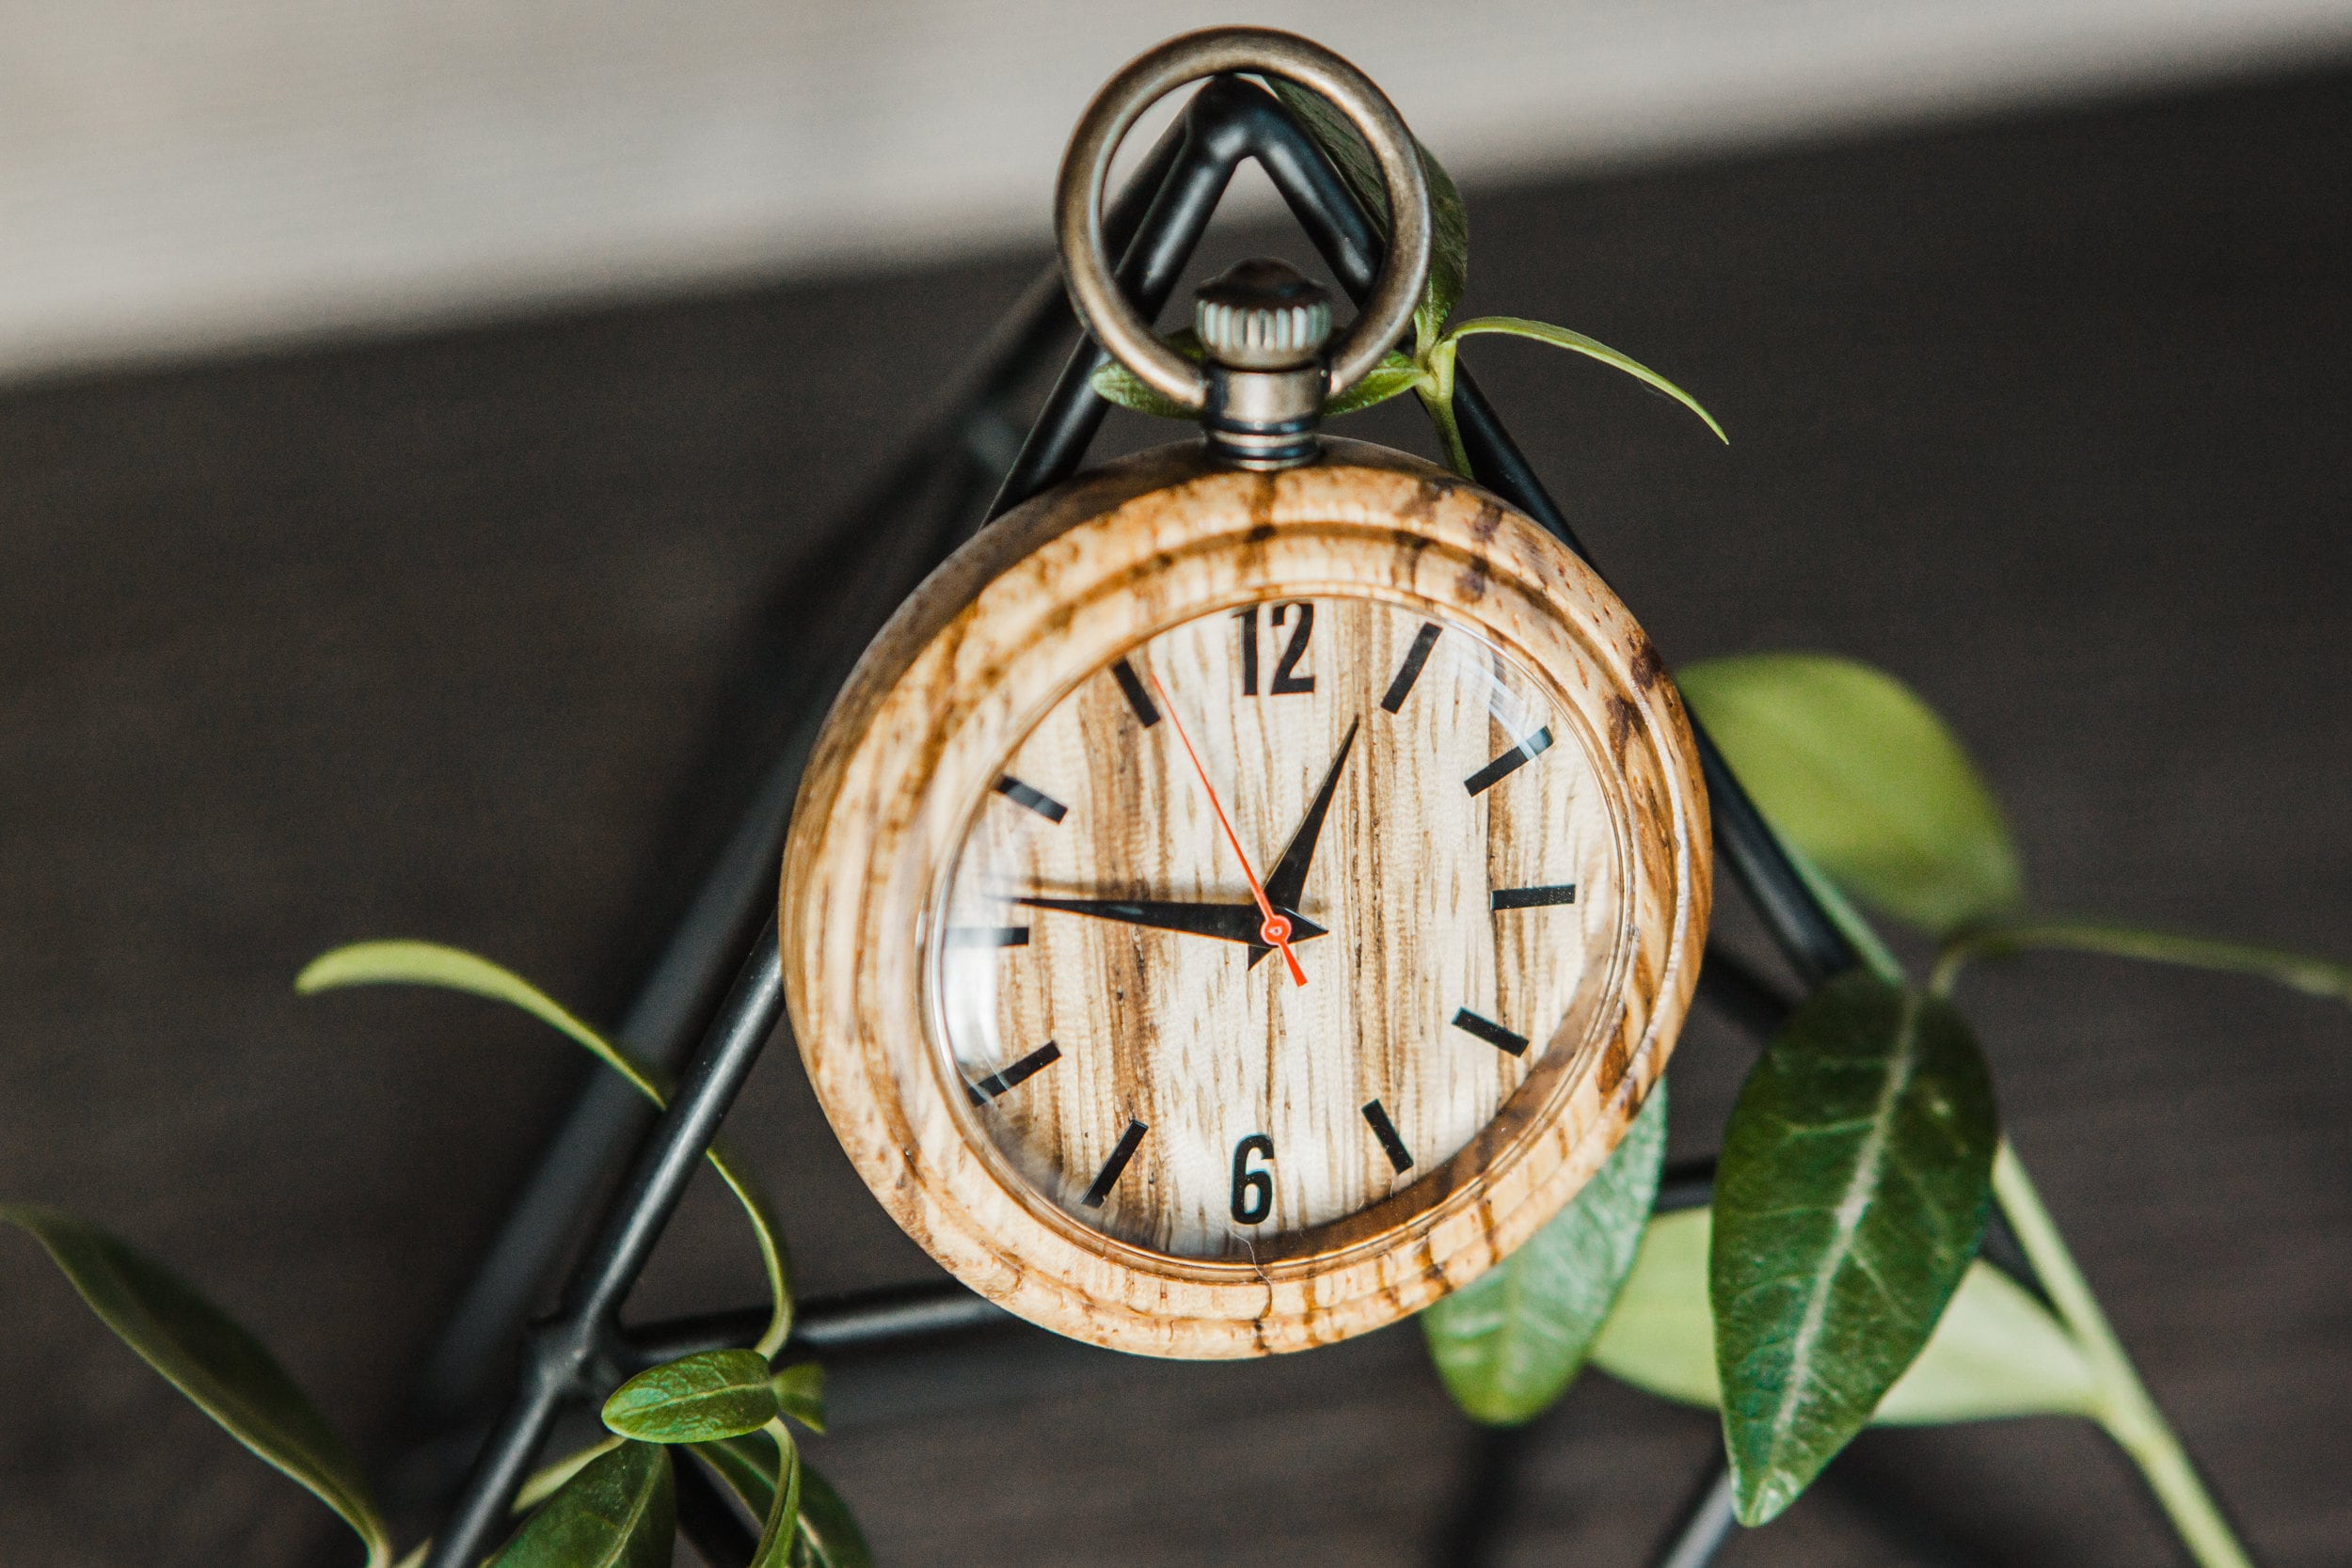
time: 9:04
